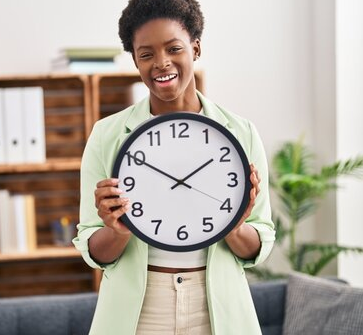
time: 1:50
